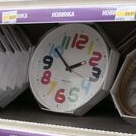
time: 1:50
